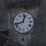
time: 12:42
